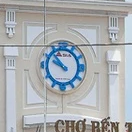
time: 9:53
